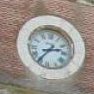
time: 2:36
